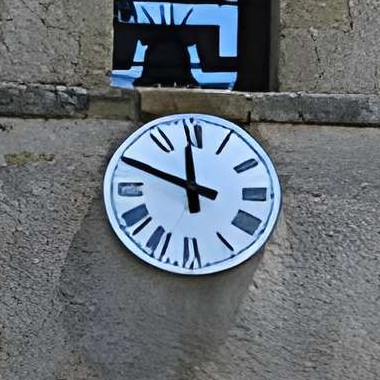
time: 11:48
